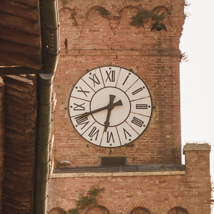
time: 6:41
